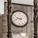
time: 9:42
